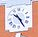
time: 10:24
